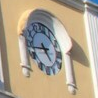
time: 4:42
